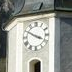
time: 3:50
